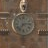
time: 7:13
